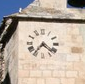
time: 7:21
